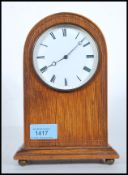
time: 8:07
